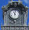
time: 11:02
